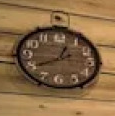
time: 12:40
